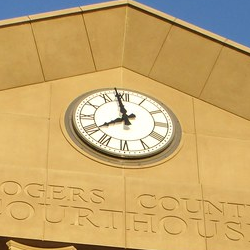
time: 7:58
